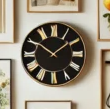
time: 1:50
